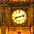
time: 8:12
